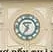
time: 10:35
